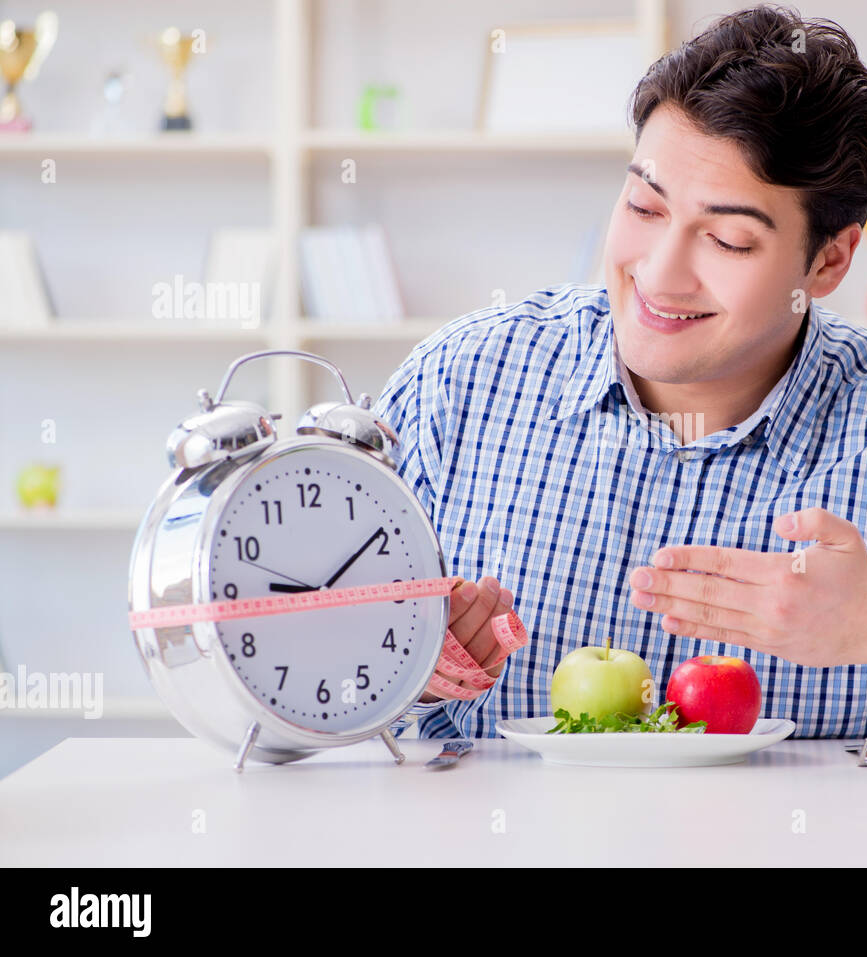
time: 9:09
